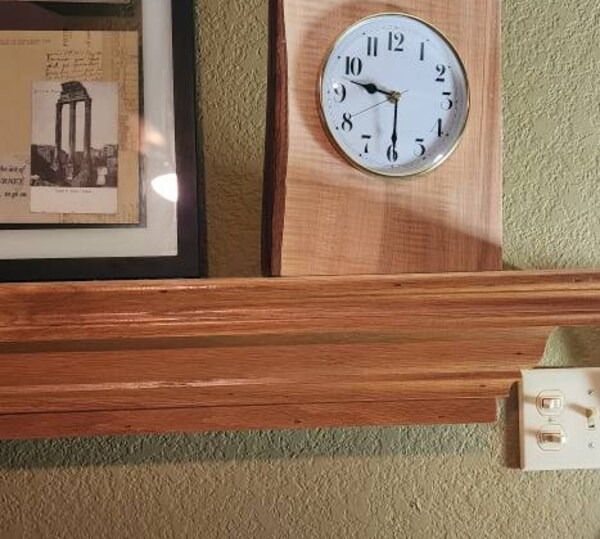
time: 9:30
